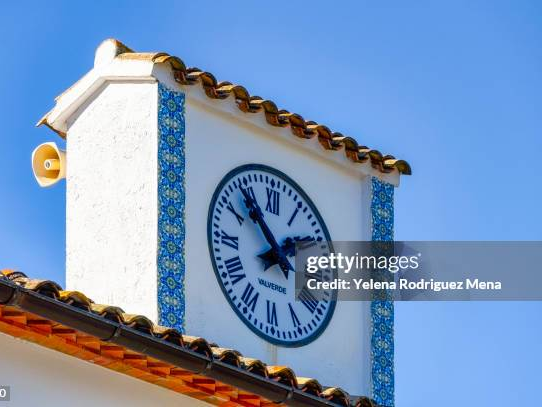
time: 1:53
